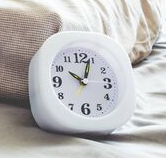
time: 10:03
